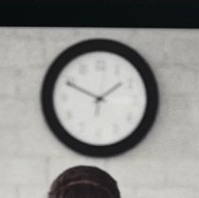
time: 1:49
